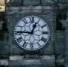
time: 12:45
